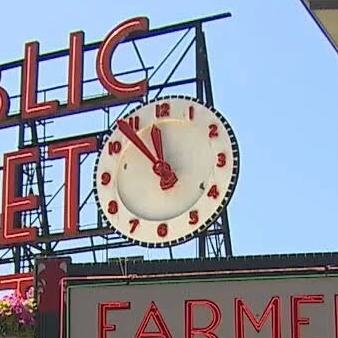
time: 11:53
